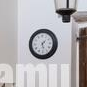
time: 1:28
